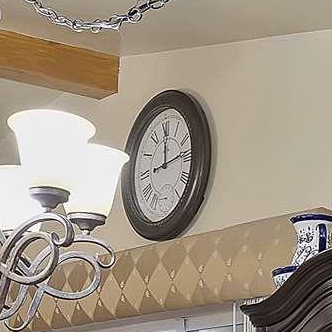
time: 12:13
